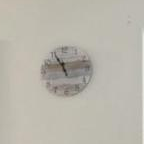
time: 11:13
